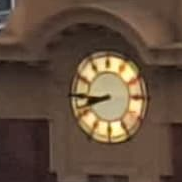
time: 8:41
